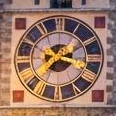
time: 7:17
